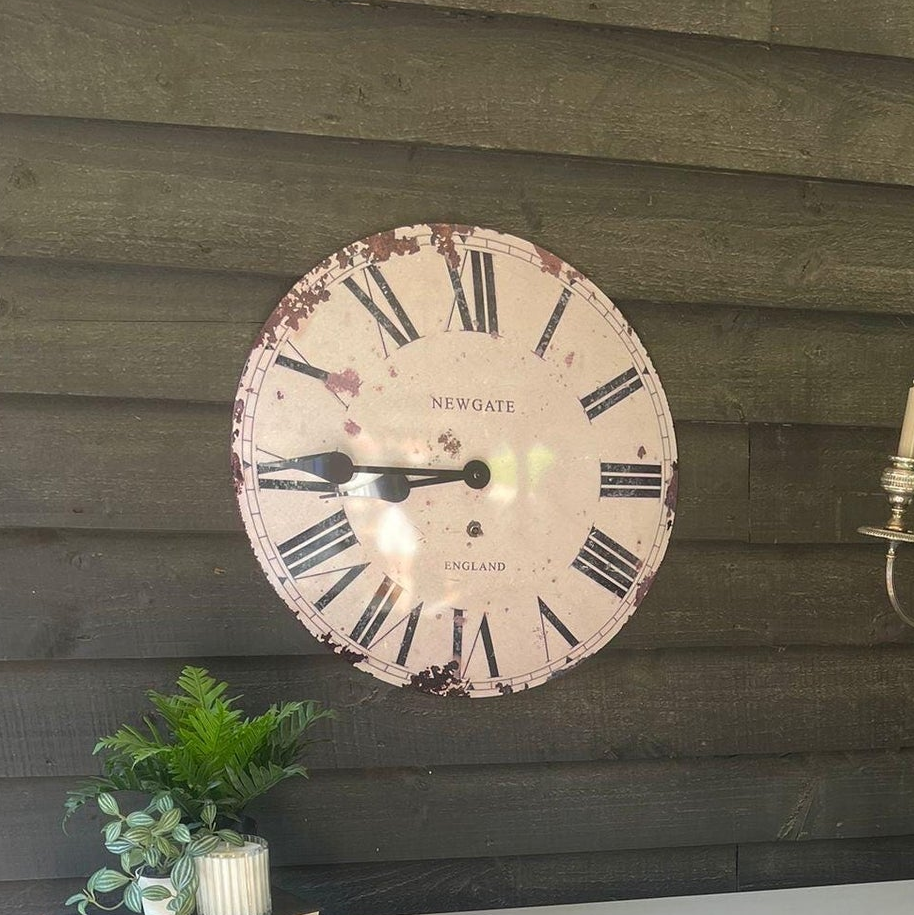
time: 8:45
